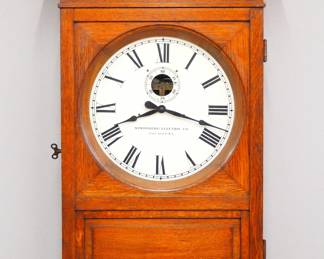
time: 8:17
